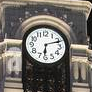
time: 6:11
